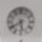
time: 5:40
